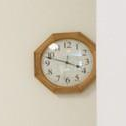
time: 3:47
